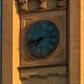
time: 7:42
